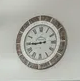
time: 8:44
